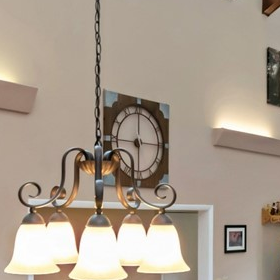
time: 5:59
